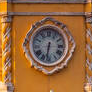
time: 6:32
